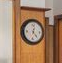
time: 12:23
